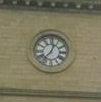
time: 12:36
